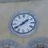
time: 1:39
